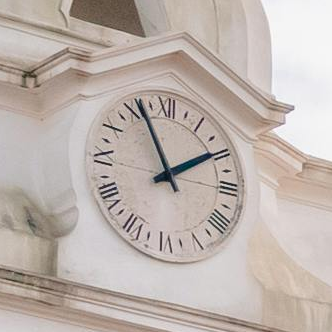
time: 1:56
